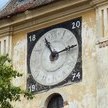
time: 11:13
